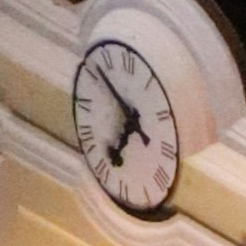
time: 6:51
